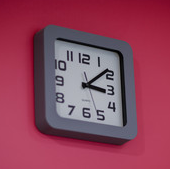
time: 3:08
